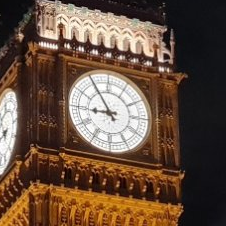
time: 8:54
